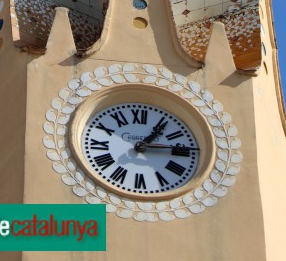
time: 1:14
